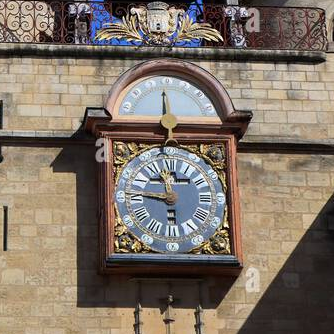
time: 11:46
